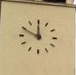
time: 11:49
